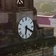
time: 6:20
